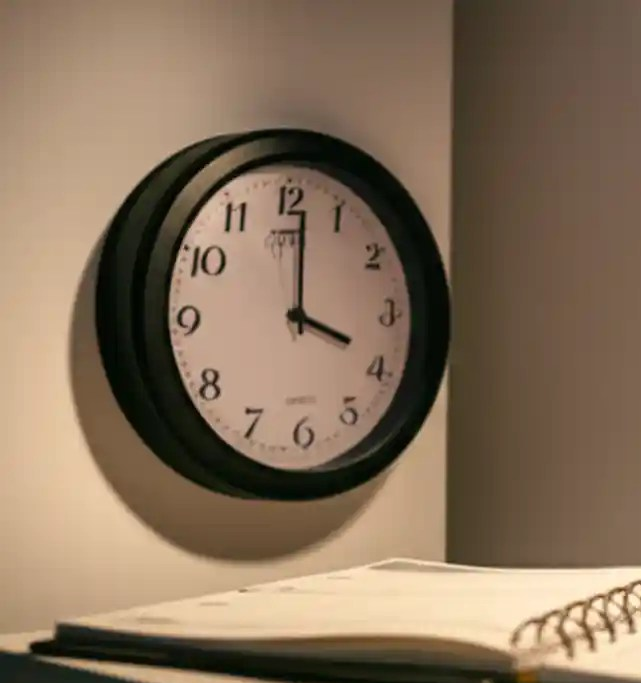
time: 4:01
